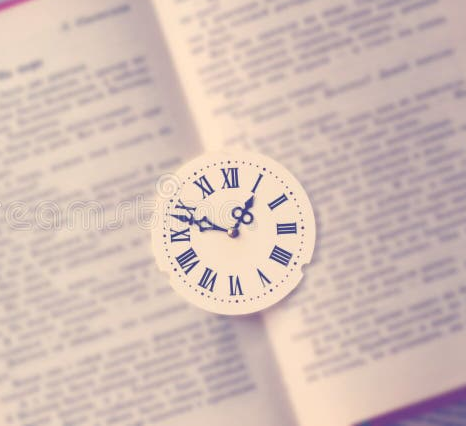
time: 12:48
